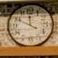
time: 11:49
